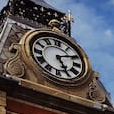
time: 5:11
